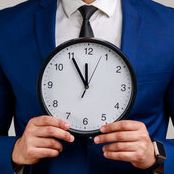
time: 11:54
